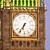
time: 6:36
